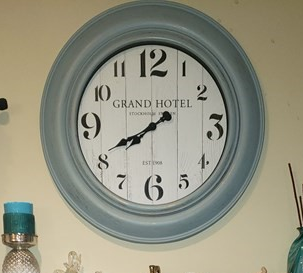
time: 7:40
